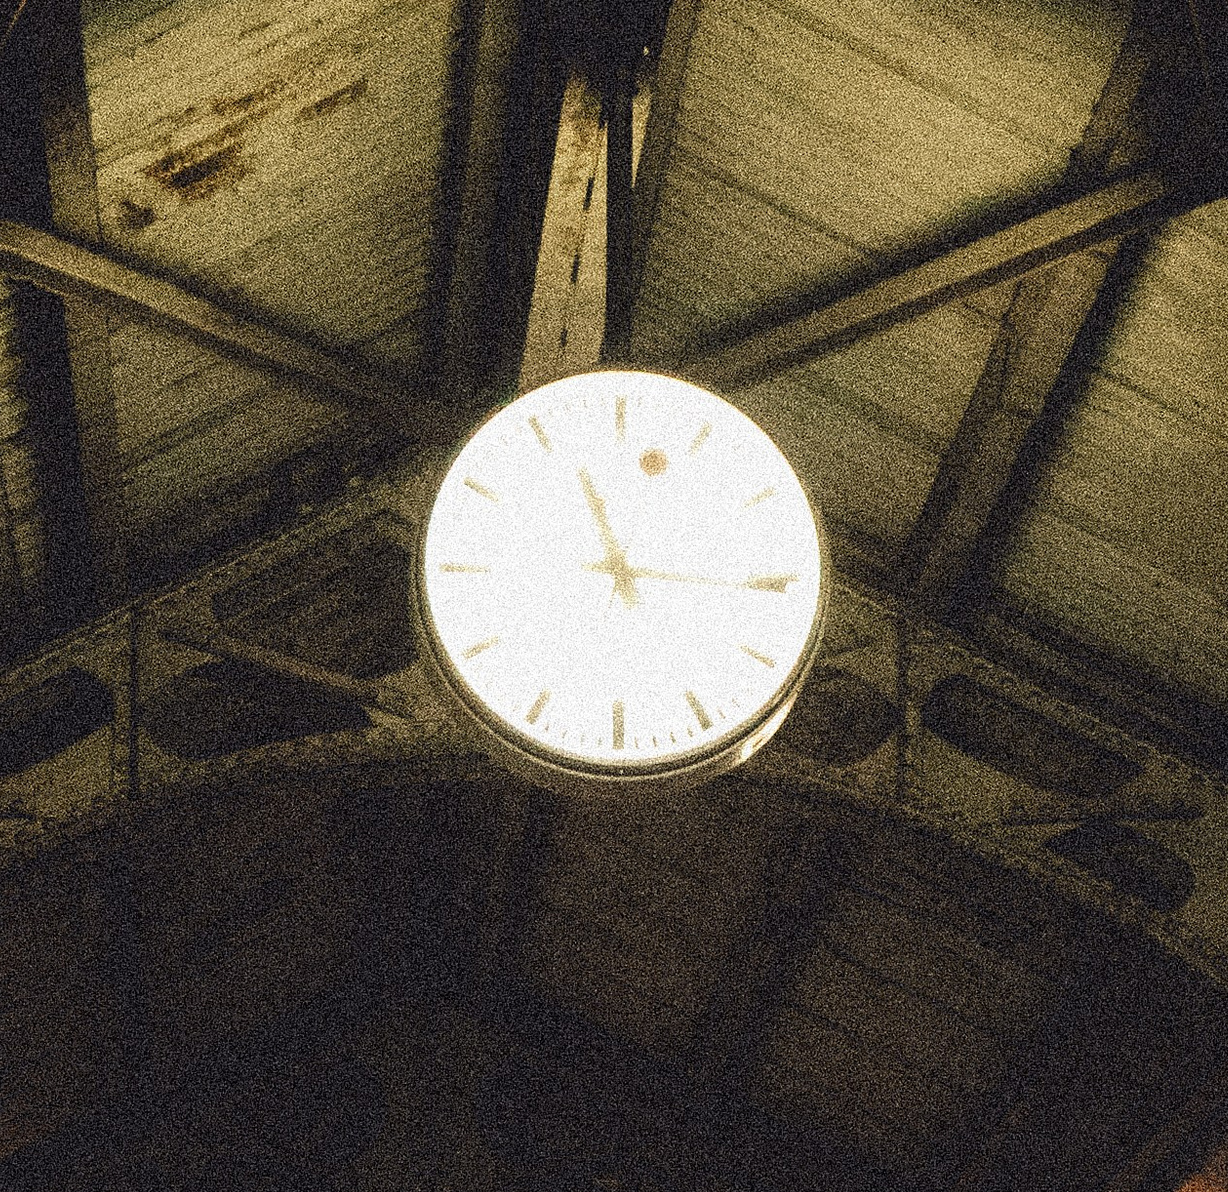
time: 11:15
